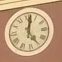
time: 5:01
